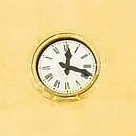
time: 12:18
